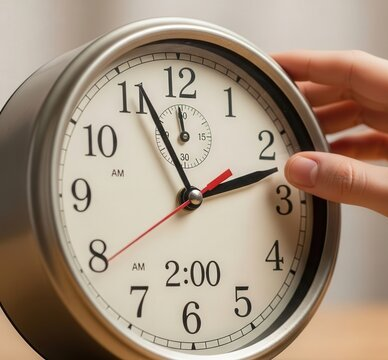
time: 11:12
